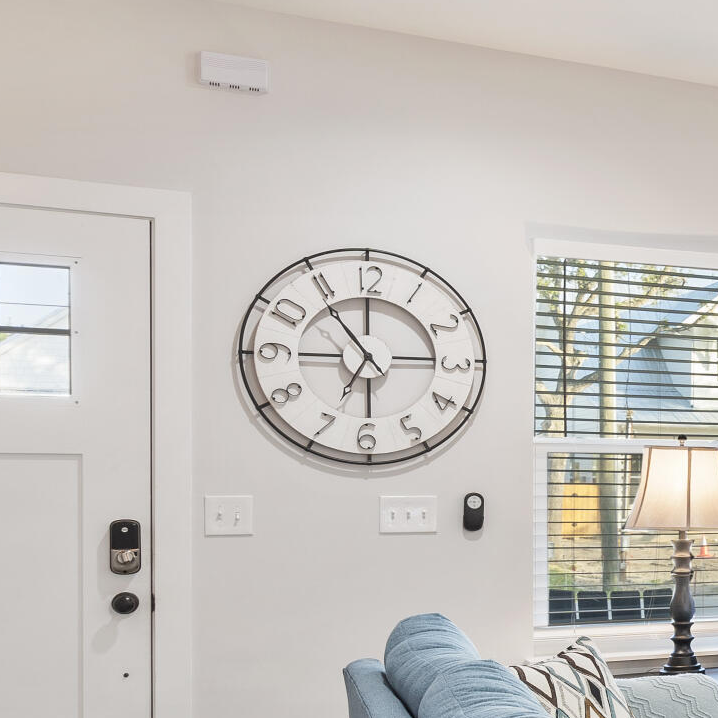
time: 6:53
